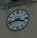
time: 3:42
